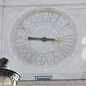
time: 9:16
